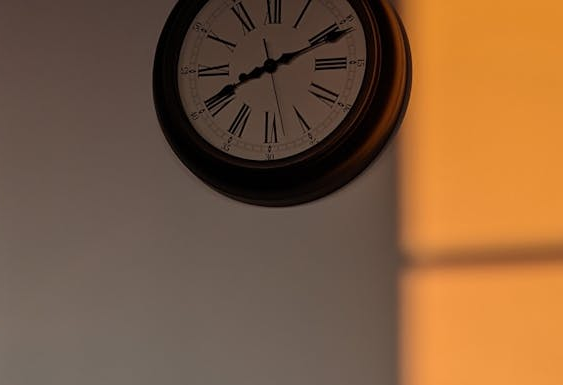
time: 8:11
